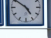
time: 4:50
